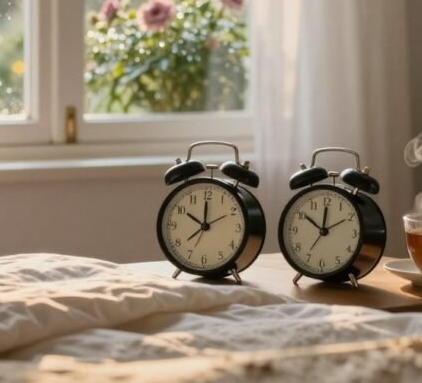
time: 10:00
